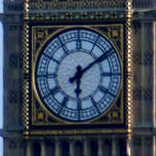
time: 6:09
